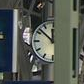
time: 11:51
